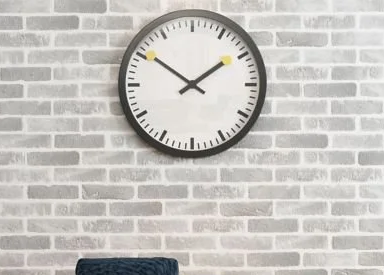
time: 1:50
